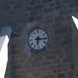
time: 6:15
